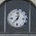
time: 7:00
